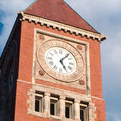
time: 5:06
